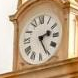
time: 2:25
